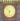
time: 6:52
